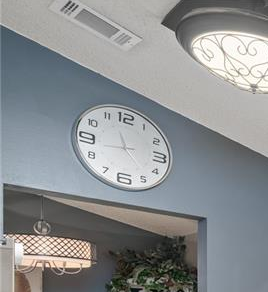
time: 11:23
